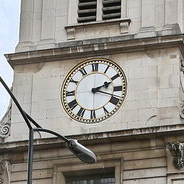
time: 2:18
